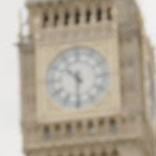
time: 10:30
